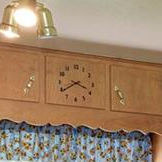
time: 3:39
